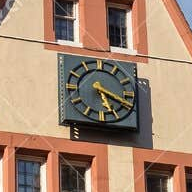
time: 5:19
